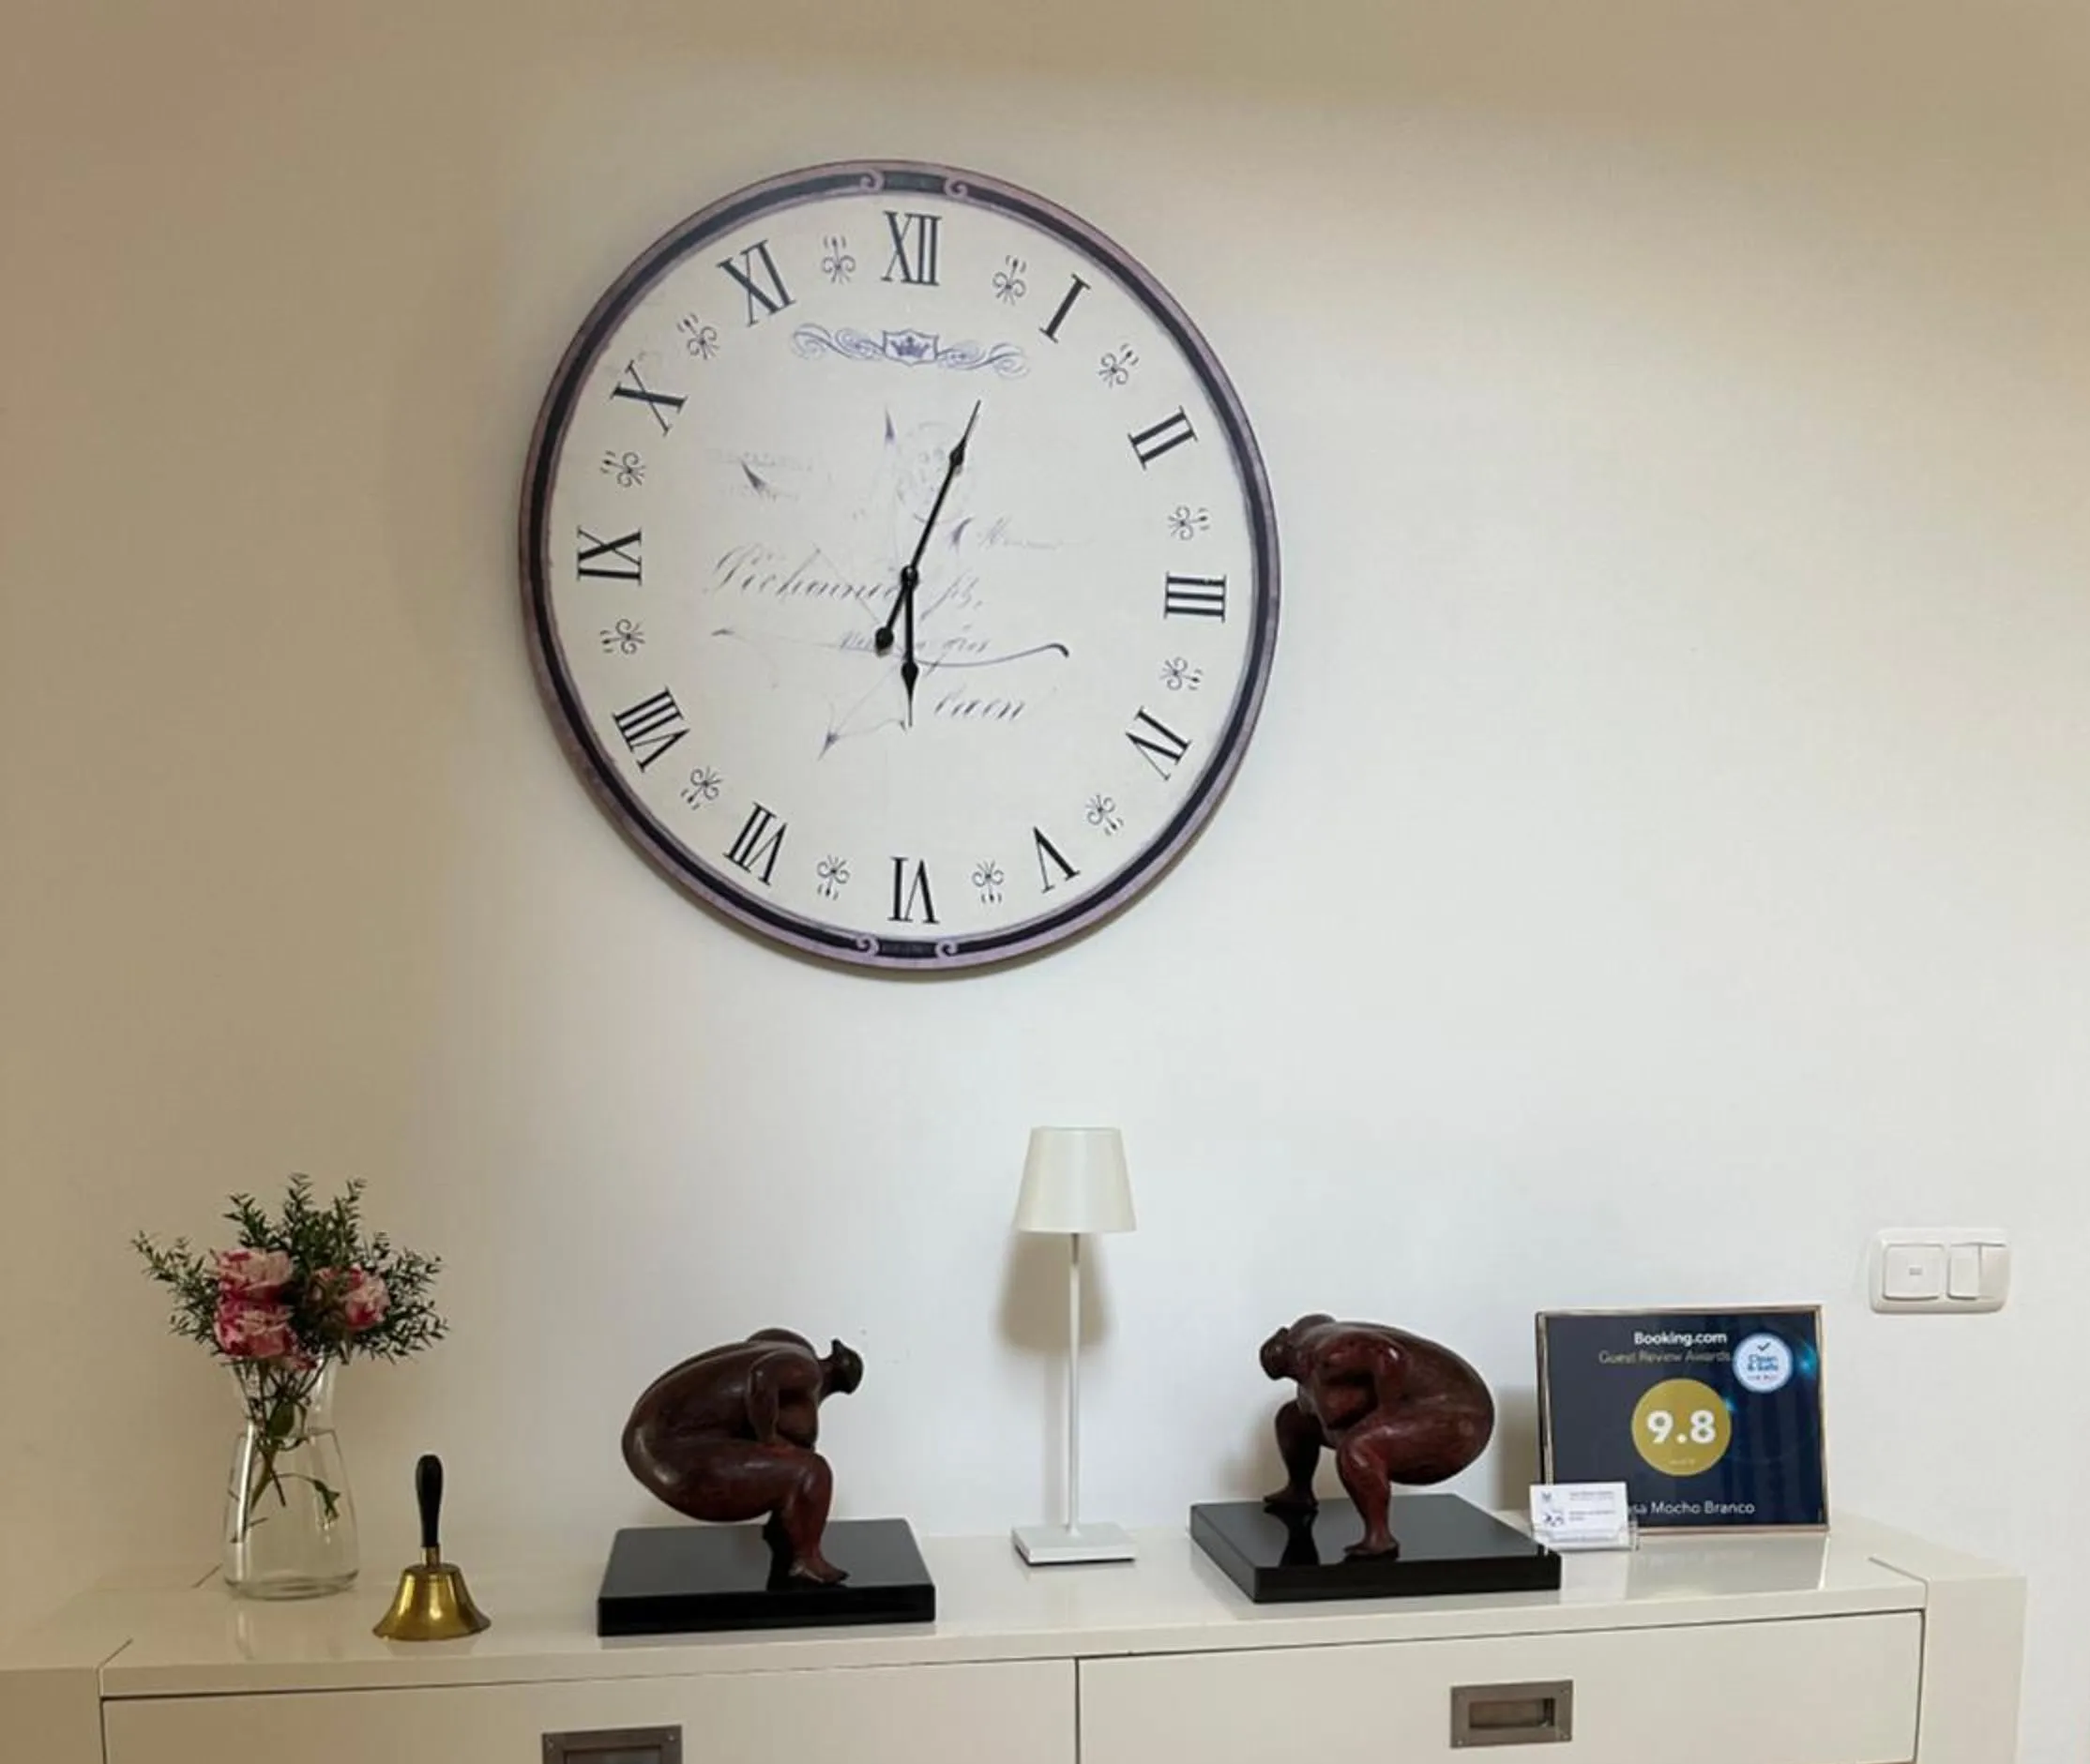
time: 6:03
